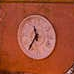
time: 11:35
